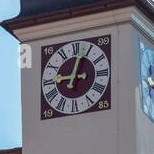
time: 9:02
